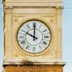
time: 10:00
